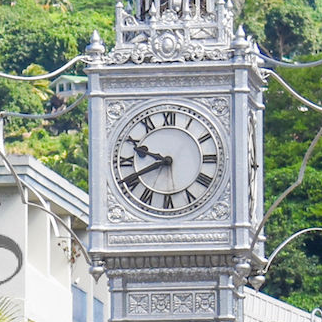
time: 9:41
